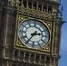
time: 2:35
